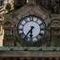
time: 6:36
